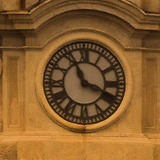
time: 11:18
